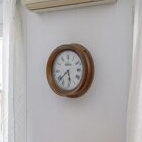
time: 5:38
